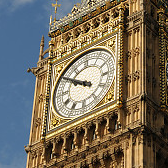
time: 9:50
